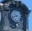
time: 10:42
